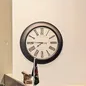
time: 7:45
